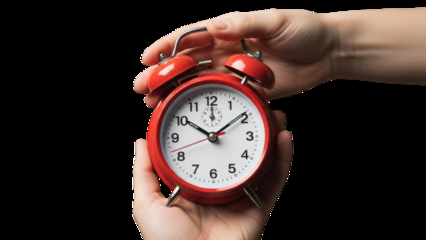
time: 10:09
